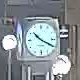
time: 10:19
